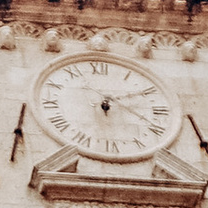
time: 6:10
